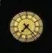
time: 7:22
